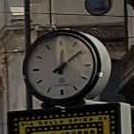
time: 12:08
